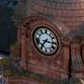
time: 7:15
